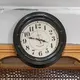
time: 3:47
